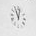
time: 11:02
